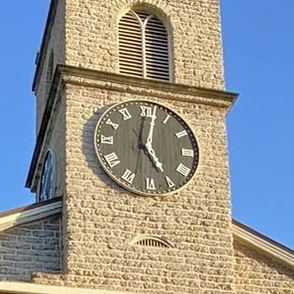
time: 5:01
